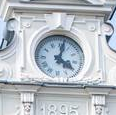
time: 4:02
